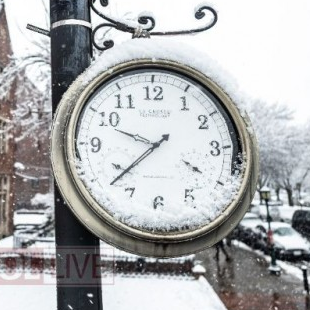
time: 9:38
